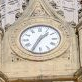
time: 1:34
